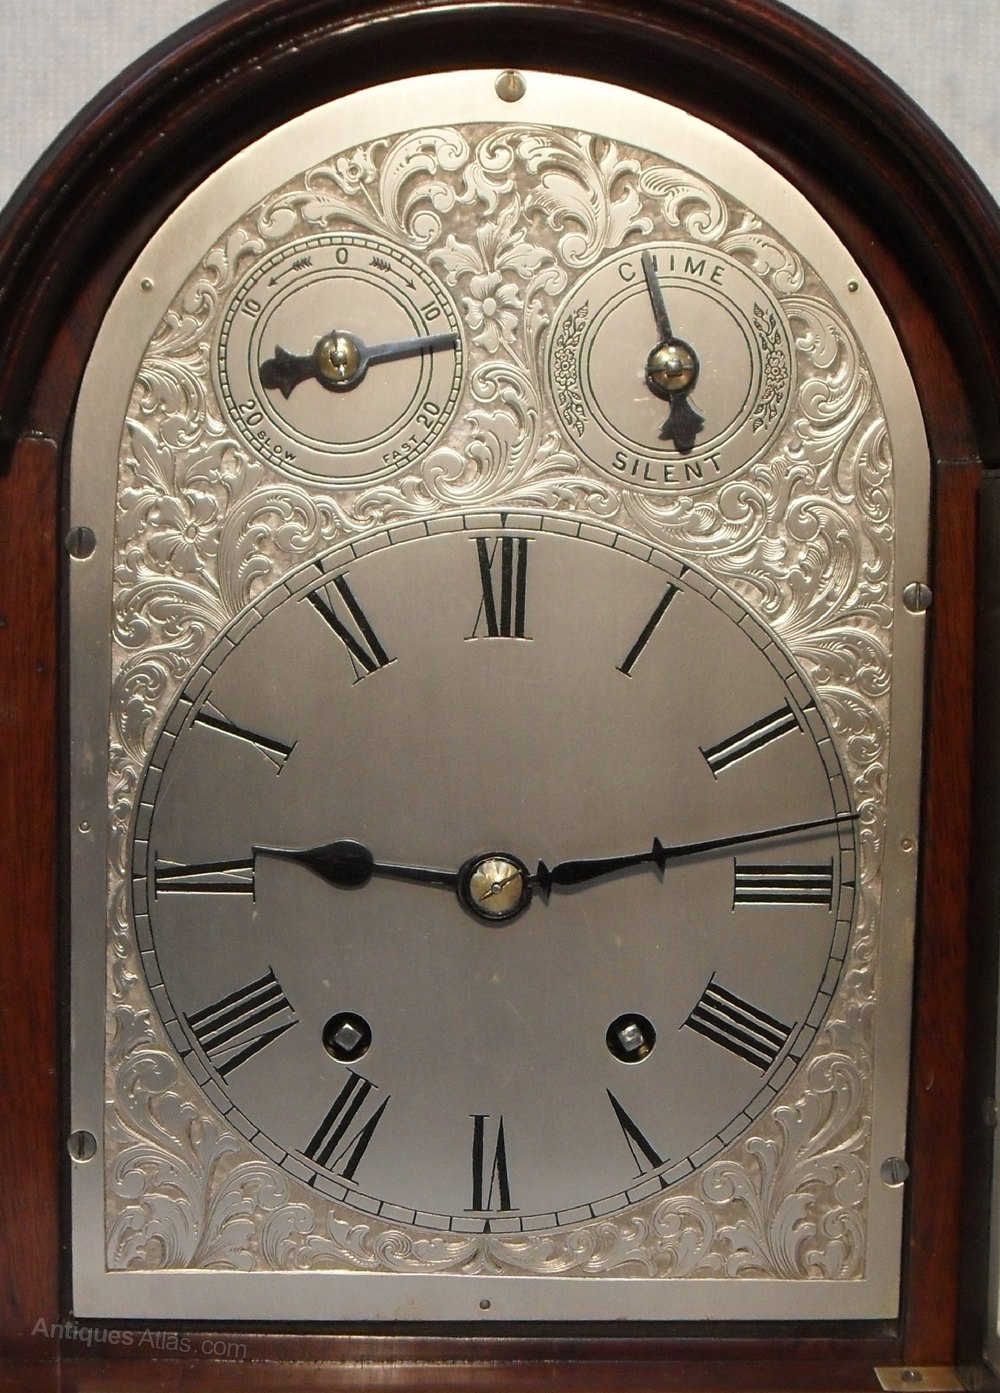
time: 9:13
